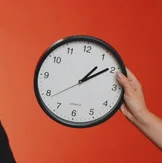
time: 1:09
